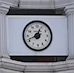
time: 12:41
